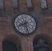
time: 8:27
